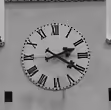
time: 2:20
